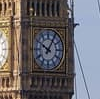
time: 10:05
